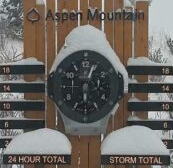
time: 6:03
